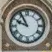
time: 9:55
